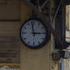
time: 2:58
